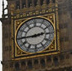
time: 2:44
